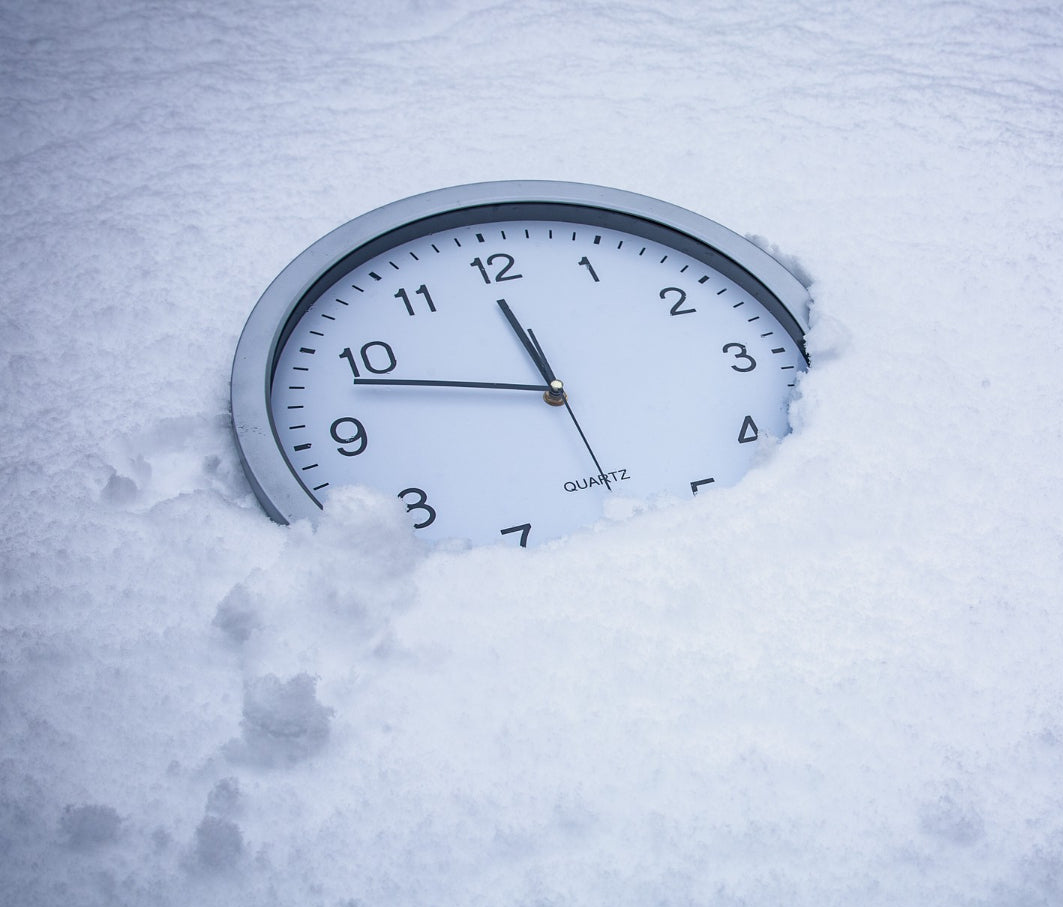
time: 11:48
